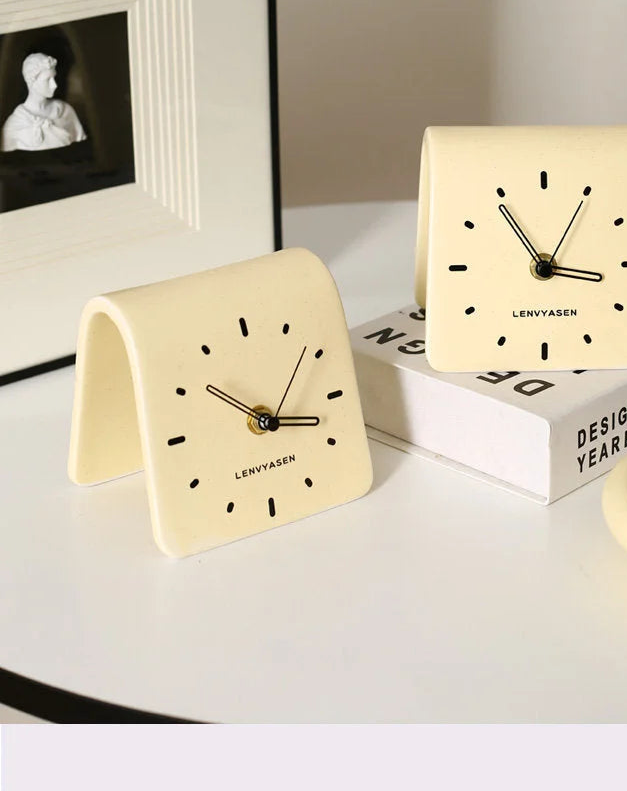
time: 10:17
